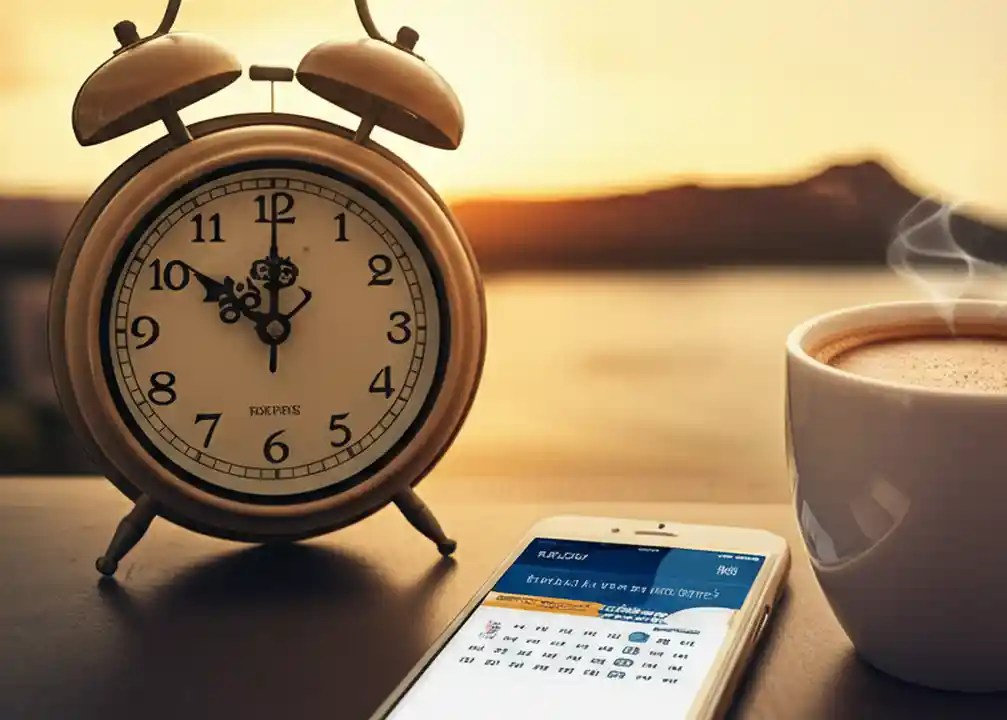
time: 10:00
